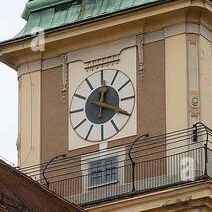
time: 12:19
